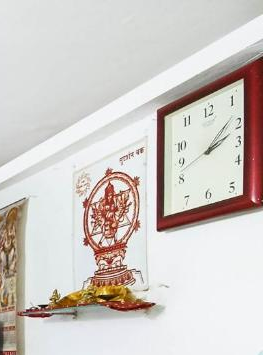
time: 2:08
